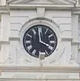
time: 3:59
